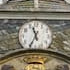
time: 11:34
